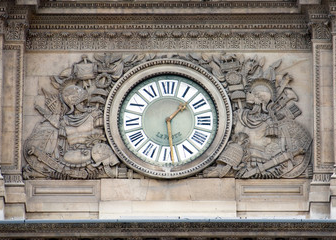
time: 1:28
